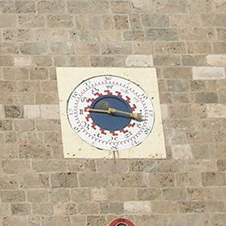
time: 9:17
